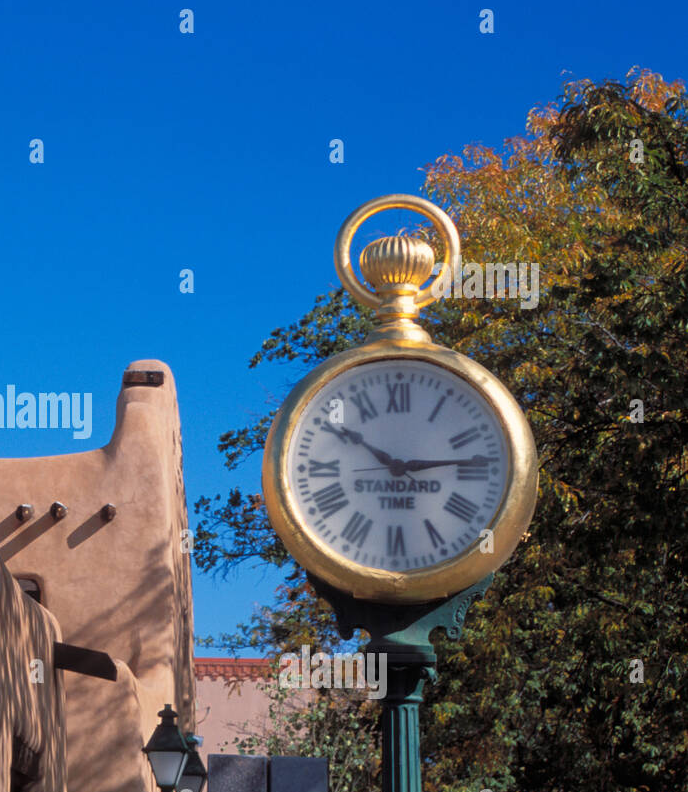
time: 10:13
